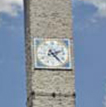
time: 2:23
